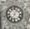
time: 7:04
